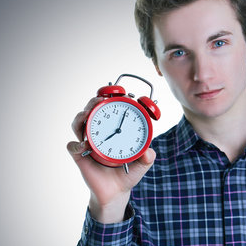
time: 8:04
